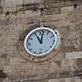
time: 11:01
